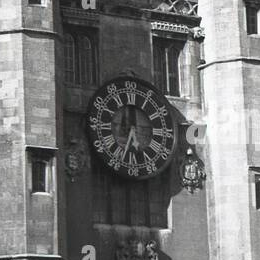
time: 5:33
